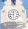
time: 11:46
